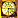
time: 6:15
